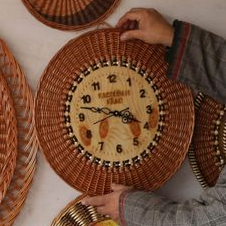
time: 3:47
